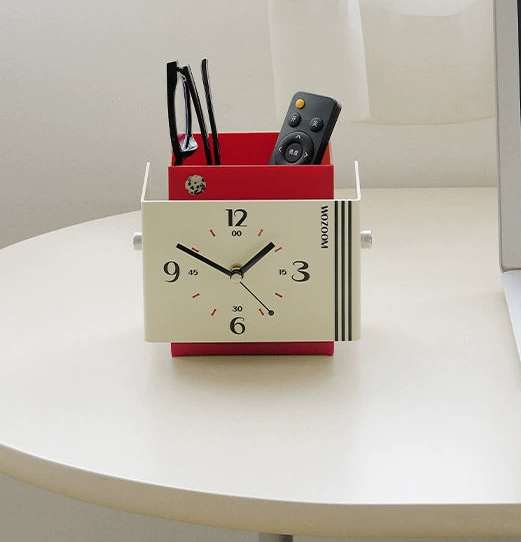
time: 1:49
